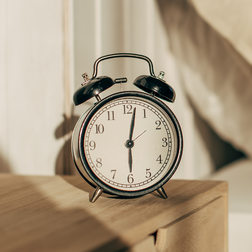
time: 6:02
